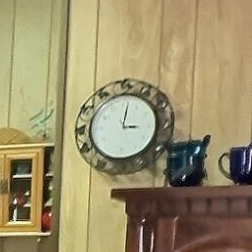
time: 3:01
